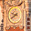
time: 9:39
